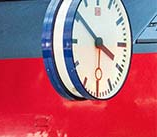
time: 3:50
